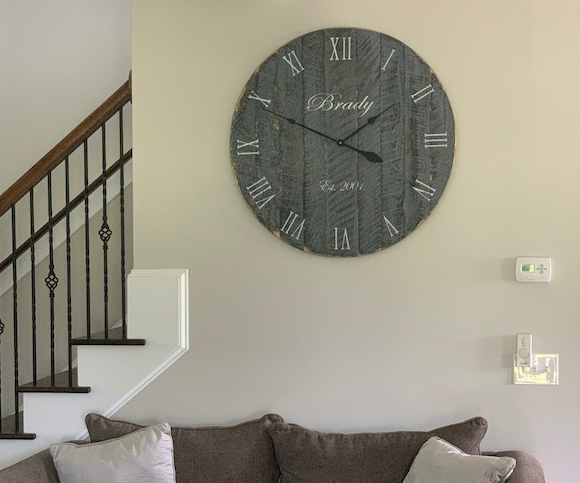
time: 1:49
